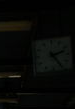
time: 2:24
